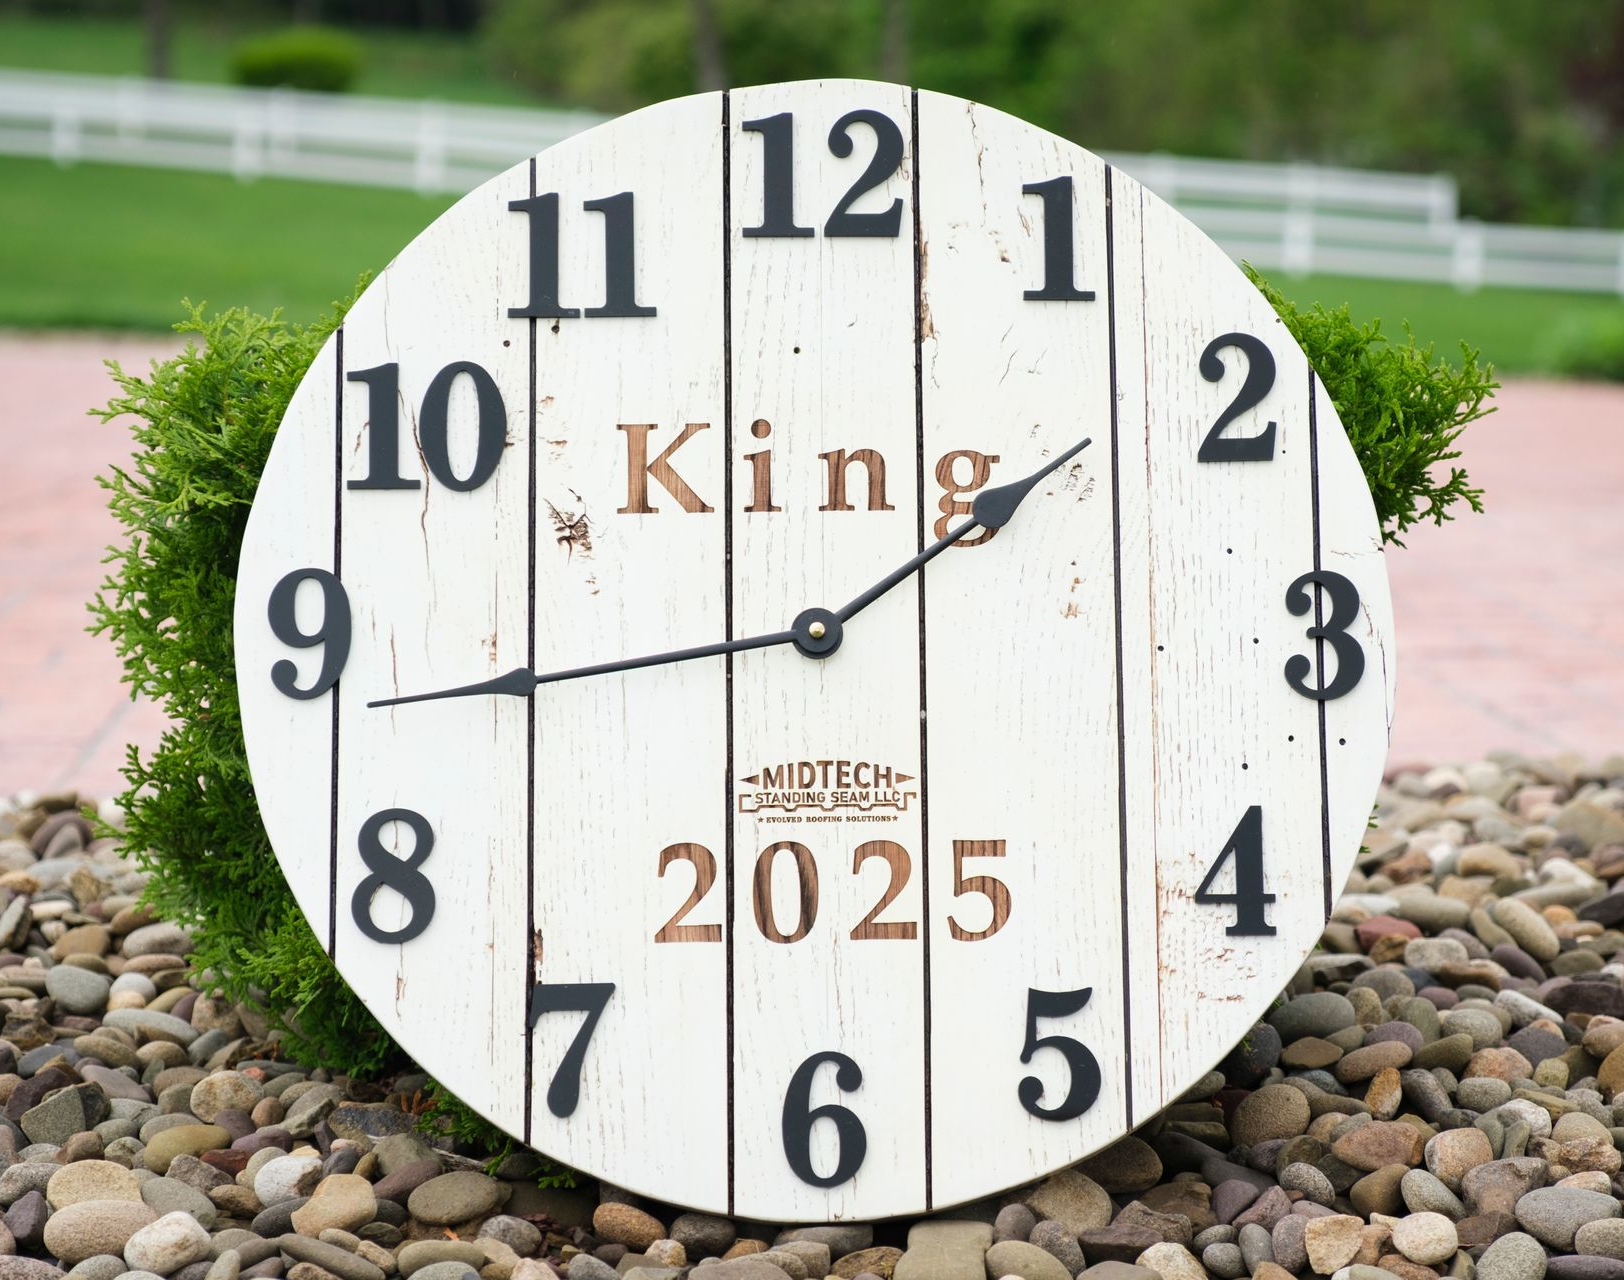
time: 1:43
